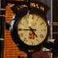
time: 4:44
